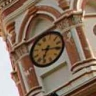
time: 6:14
